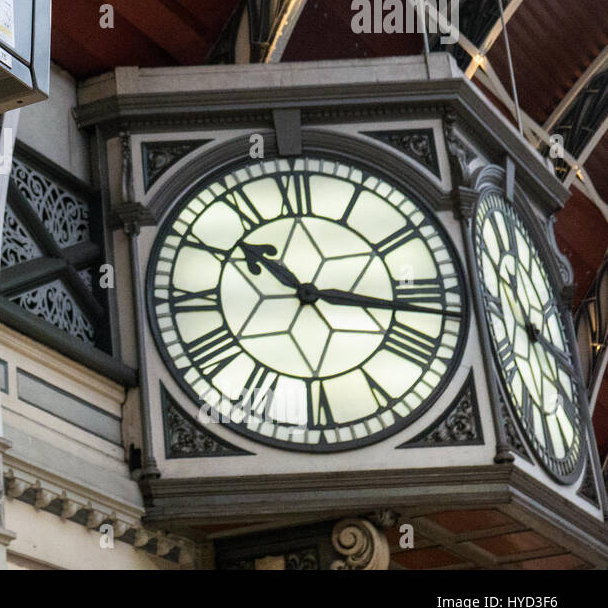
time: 10:16
